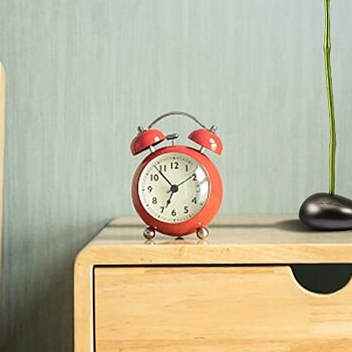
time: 6:53
